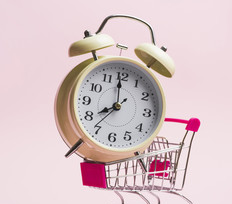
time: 7:59
